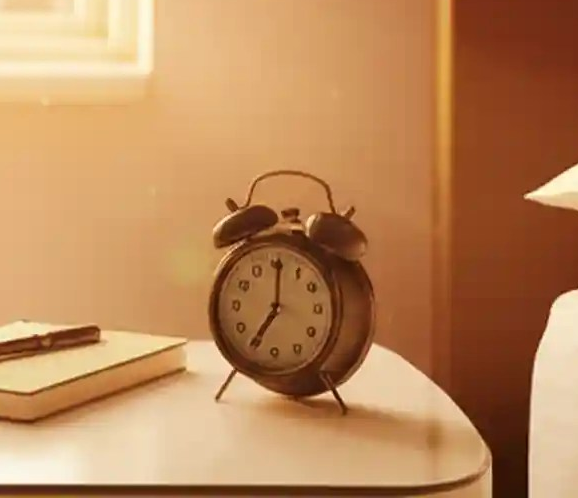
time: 7:00
